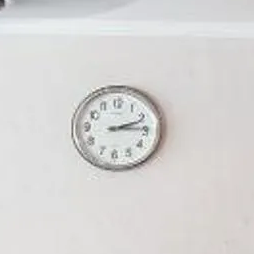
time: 2:14
